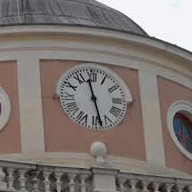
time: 11:28
